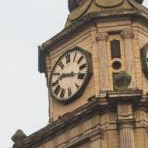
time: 9:18
